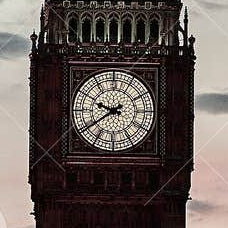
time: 9:39
